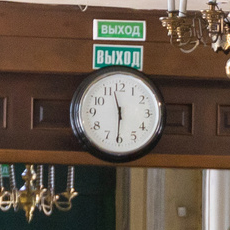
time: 11:30
